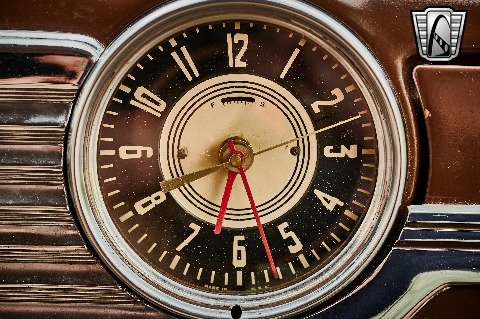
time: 6:41
